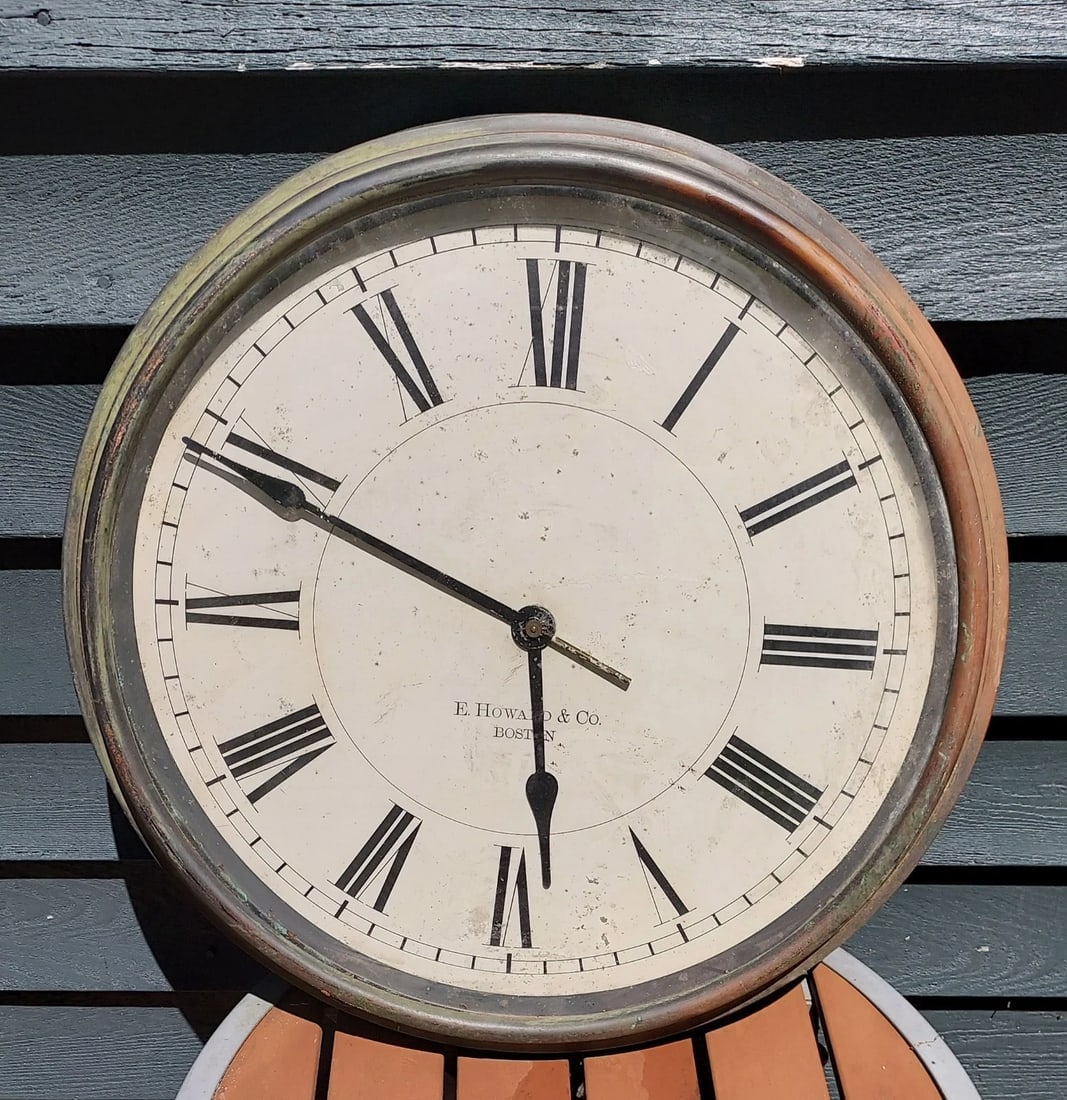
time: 5:49
